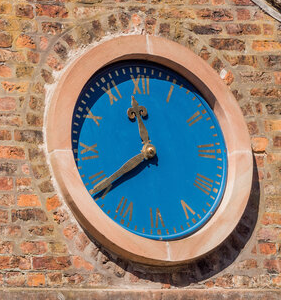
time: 11:39
